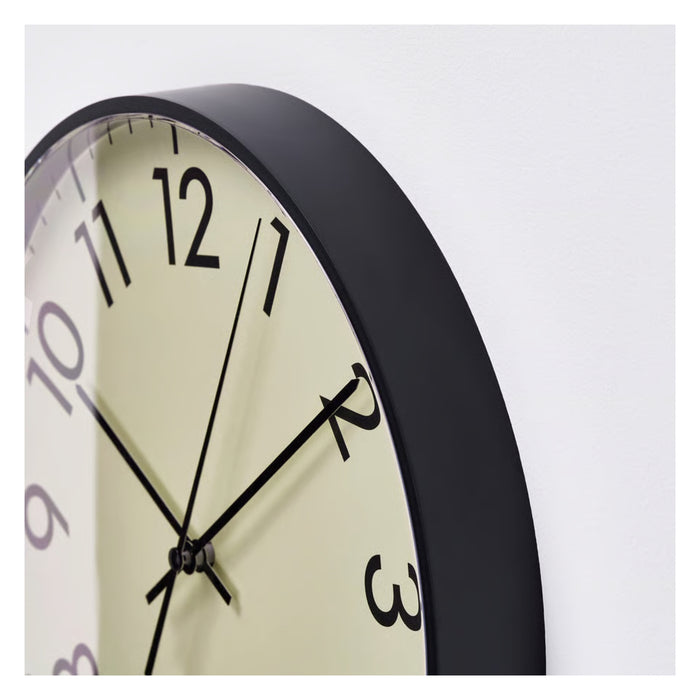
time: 10:09
